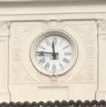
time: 11:46
